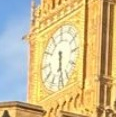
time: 6:29
